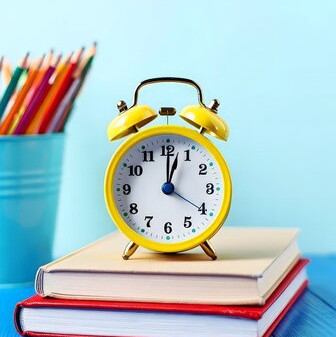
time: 12:02
